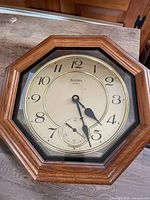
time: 4:27
